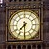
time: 7:30
